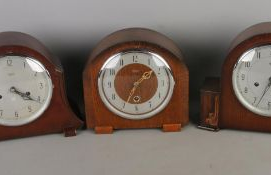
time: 1:34
